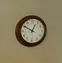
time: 12:50
